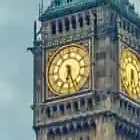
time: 6:26
